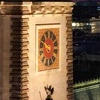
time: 9:48
